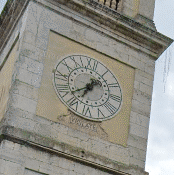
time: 6:38
